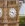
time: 4:47
